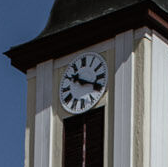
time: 10:18
